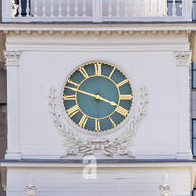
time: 3:48
